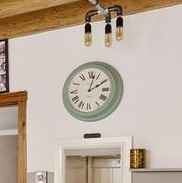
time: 2:02
